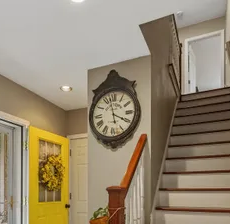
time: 3:58
